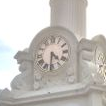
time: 4:31
